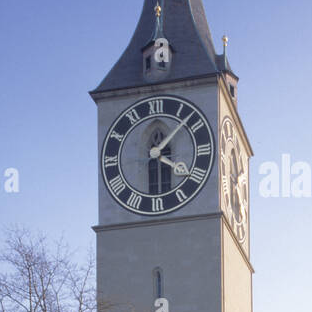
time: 4:07
